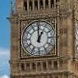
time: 1:00
